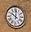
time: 10:00
